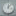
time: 12:07
